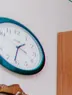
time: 1:31
